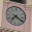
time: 7:19
